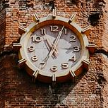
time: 11:03
